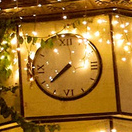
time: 7:38
